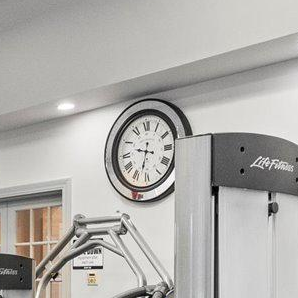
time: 9:32
